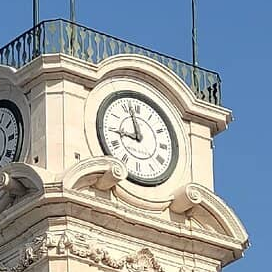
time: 8:57
